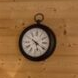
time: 5:20
